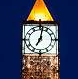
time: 7:01
